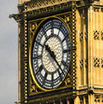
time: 10:23
